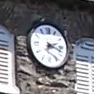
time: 2:18
